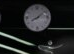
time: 8:09
